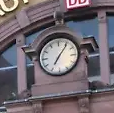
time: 7:06
